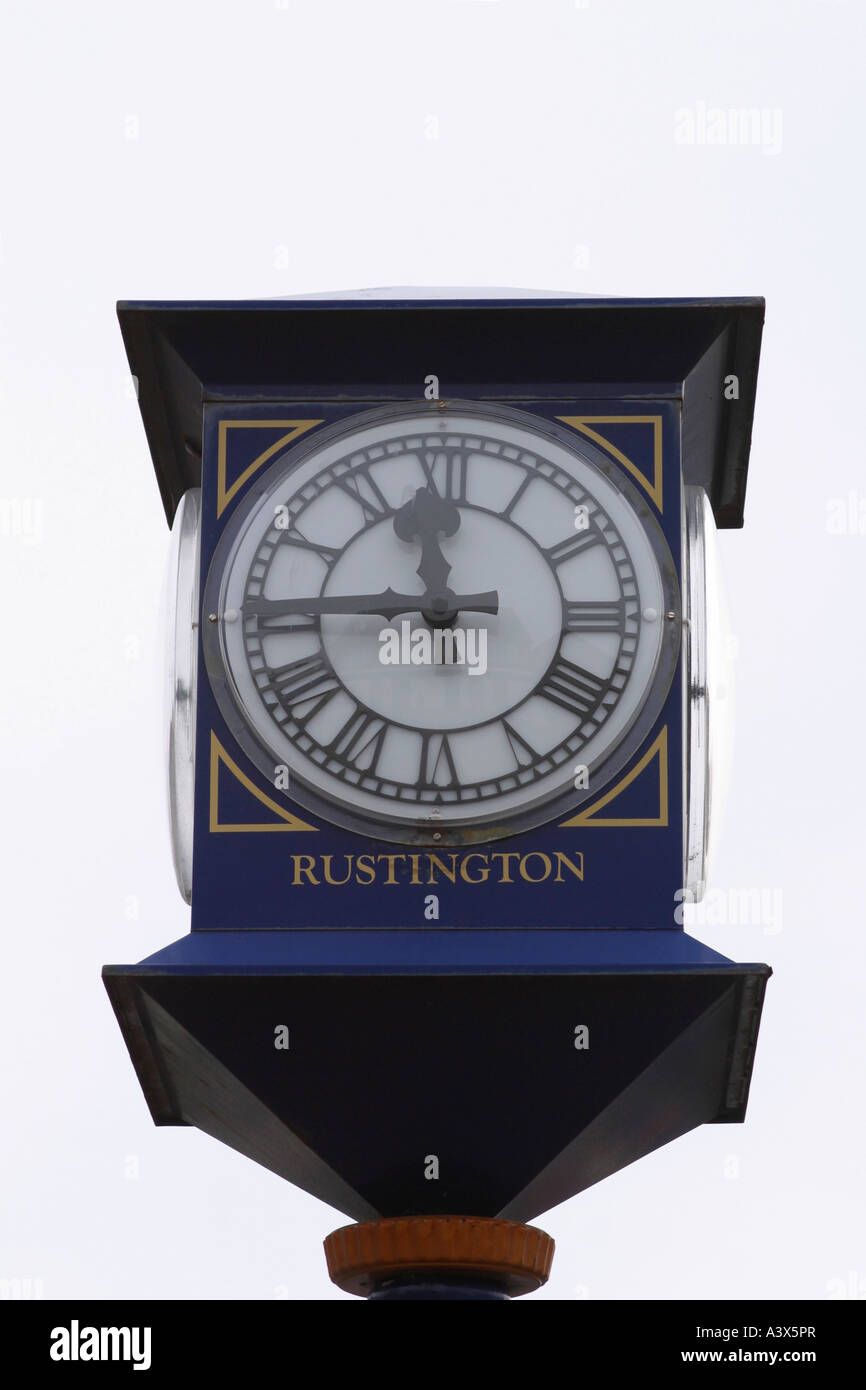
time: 11:44
